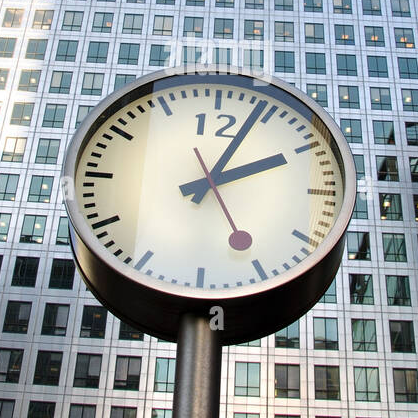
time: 2:04
